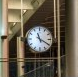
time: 11:19
